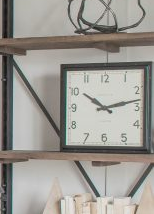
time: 10:12
